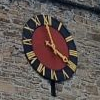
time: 3:58
